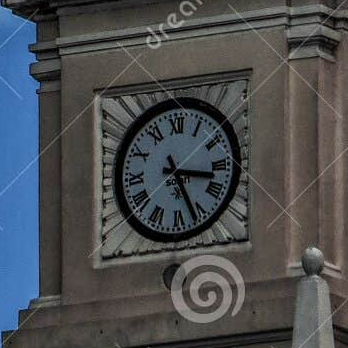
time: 3:26
